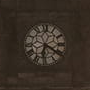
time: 6:20
